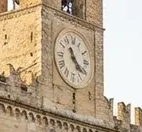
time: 11:21
